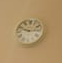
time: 2:48
